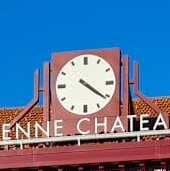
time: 4:21
